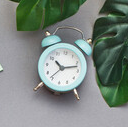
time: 10:12
